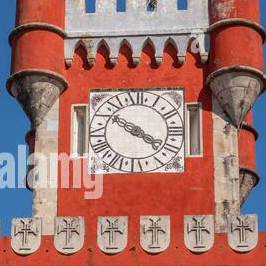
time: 3:50
